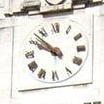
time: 9:52
